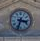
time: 3:33
